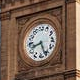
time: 8:26
